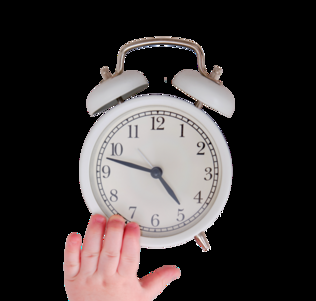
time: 4:47
